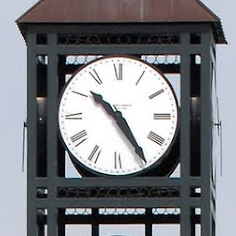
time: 10:24
